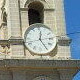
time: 12:24
